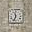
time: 11:33
